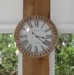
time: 3:21
